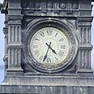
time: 4:33
